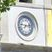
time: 9:12
